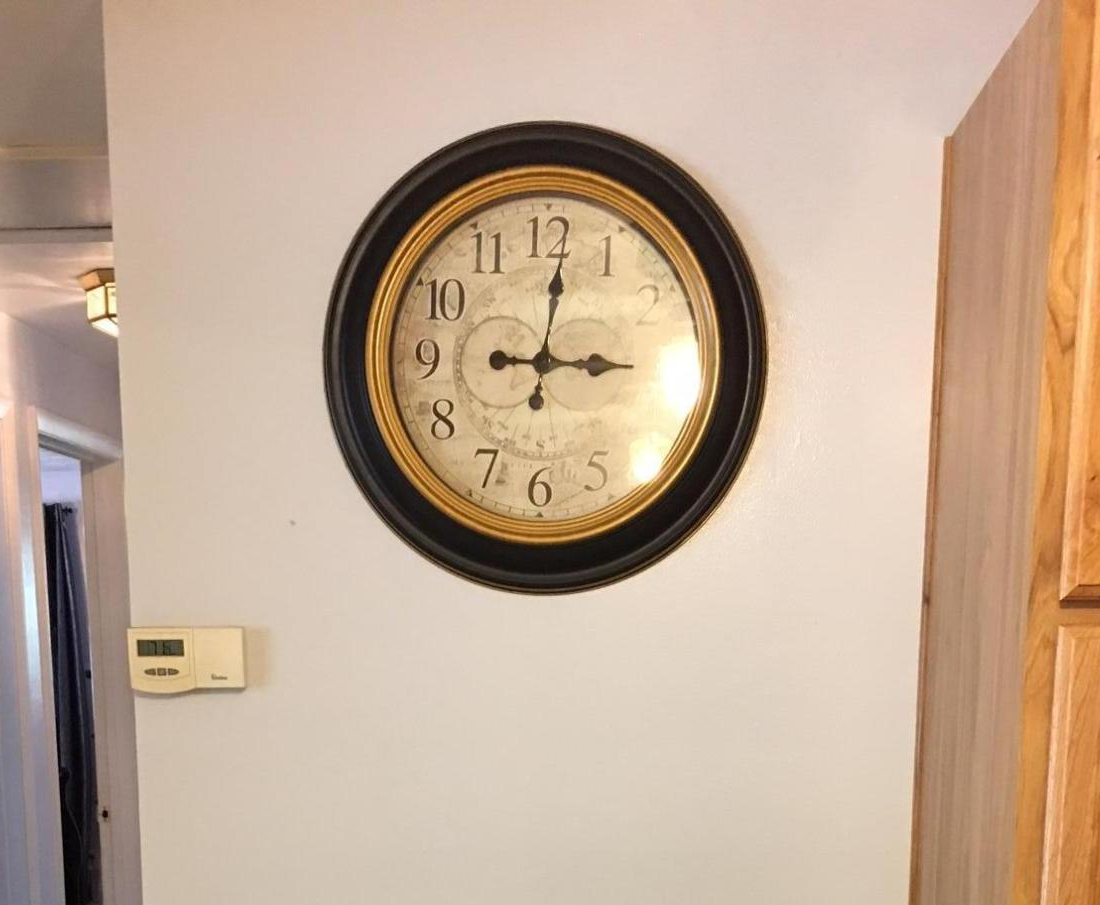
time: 9:01
